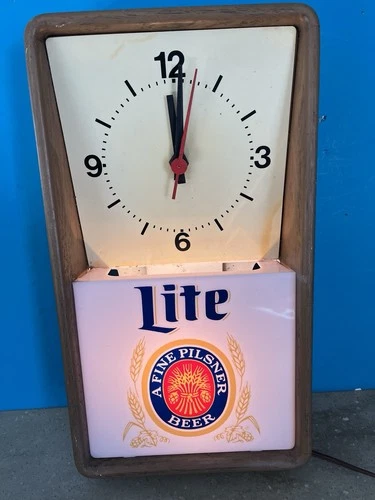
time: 12:01
